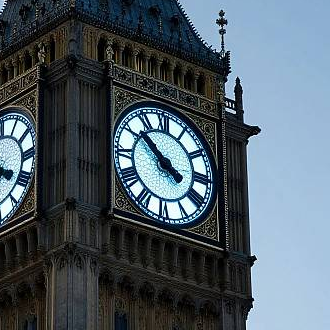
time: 3:51
